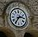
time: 2:36
